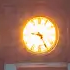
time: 9:24
